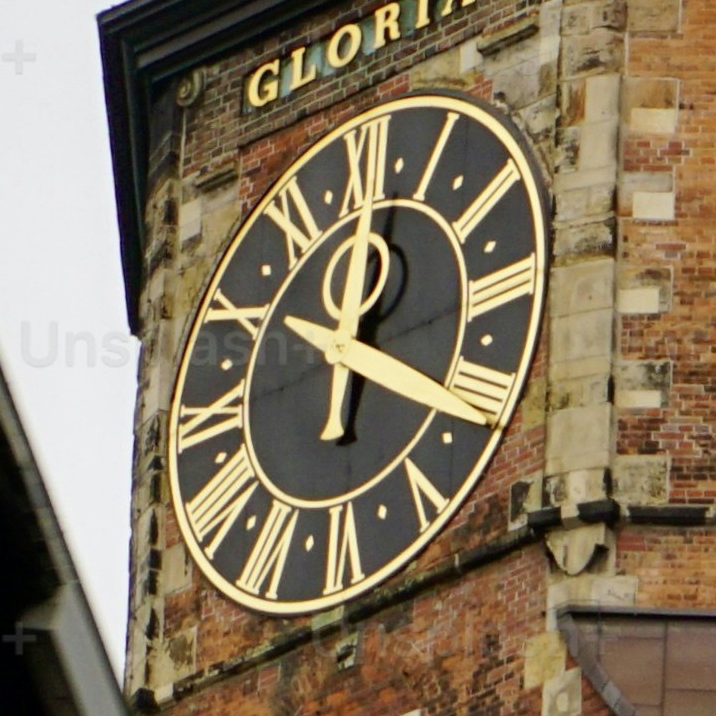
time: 12:20
